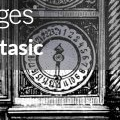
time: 12:30
